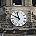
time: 9:57
